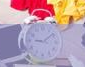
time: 9:08
